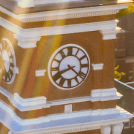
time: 8:21
